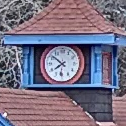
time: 7:51
